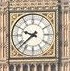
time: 9:38
